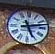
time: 5:12
